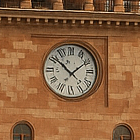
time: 1:51
